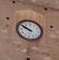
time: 9:50
